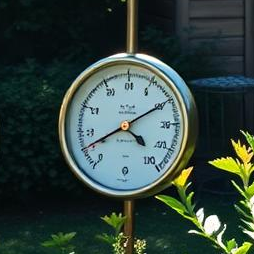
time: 4:40
